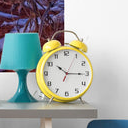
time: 10:15
